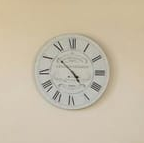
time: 4:52
